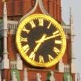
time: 7:11
